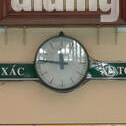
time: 11:46
